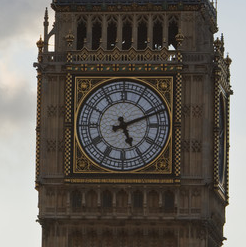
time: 5:11
